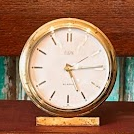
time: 5:14
